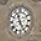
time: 11:25
